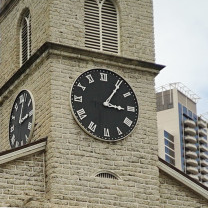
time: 3:05
